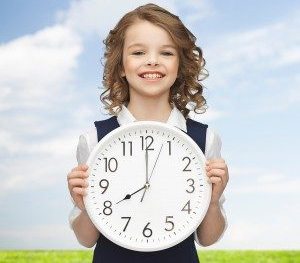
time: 7:59
